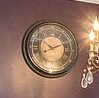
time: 10:11
